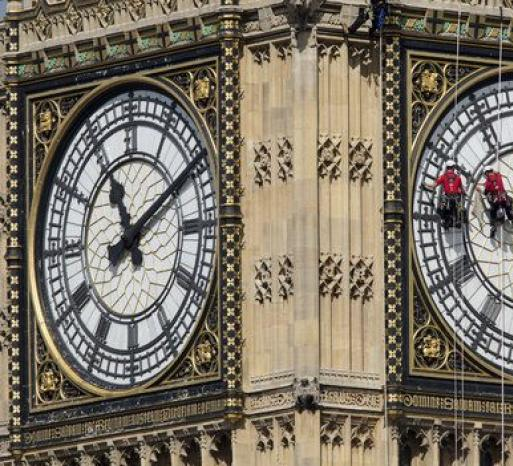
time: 11:09
